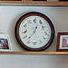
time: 12:36
